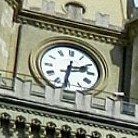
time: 2:31
